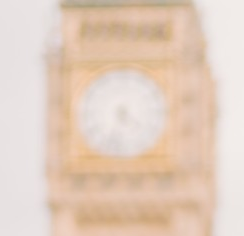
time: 4:32
